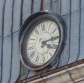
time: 4:14
